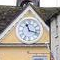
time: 11:17
